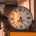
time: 7:27
